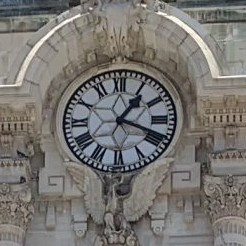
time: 1:18
